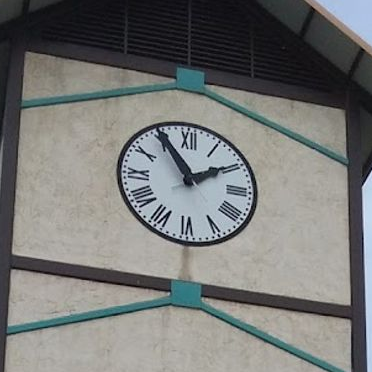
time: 1:54
